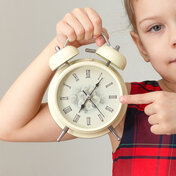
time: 7:06
